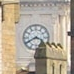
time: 3:40
